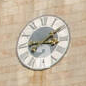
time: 3:09
